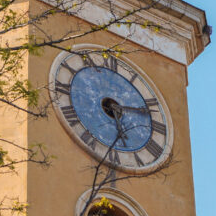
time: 5:12
